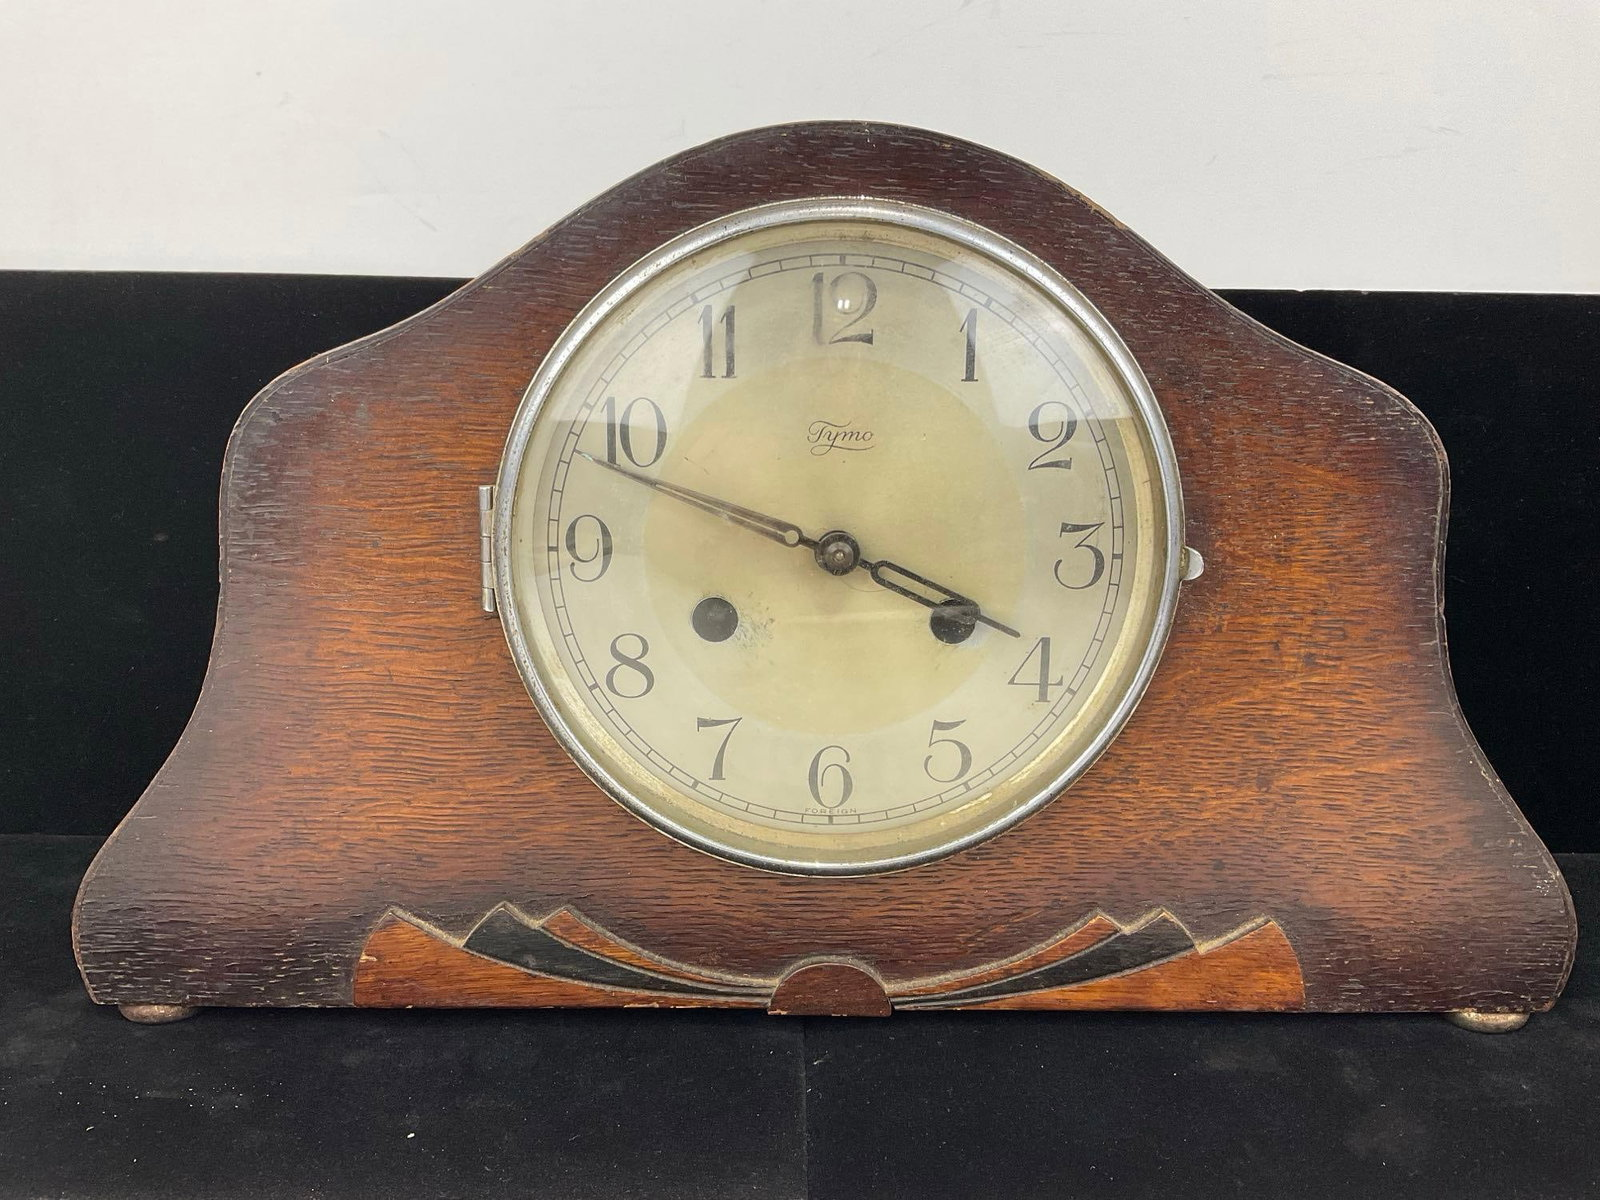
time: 3:48
